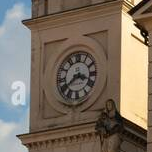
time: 3:39
